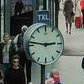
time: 2:46
